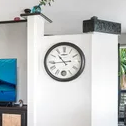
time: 10:43
